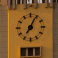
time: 7:04
